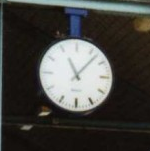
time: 11:07
